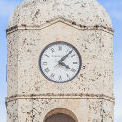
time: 4:07
